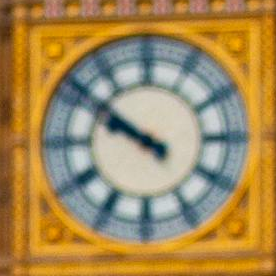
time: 9:51
